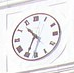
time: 10:34
